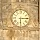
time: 6:14
